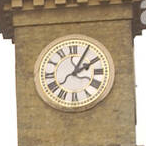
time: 2:04
